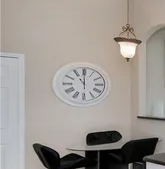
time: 11:00
